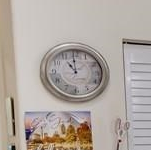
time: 10:59
